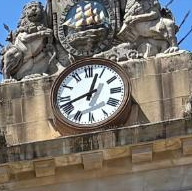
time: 12:41
